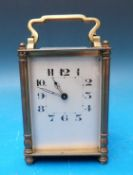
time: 10:48
